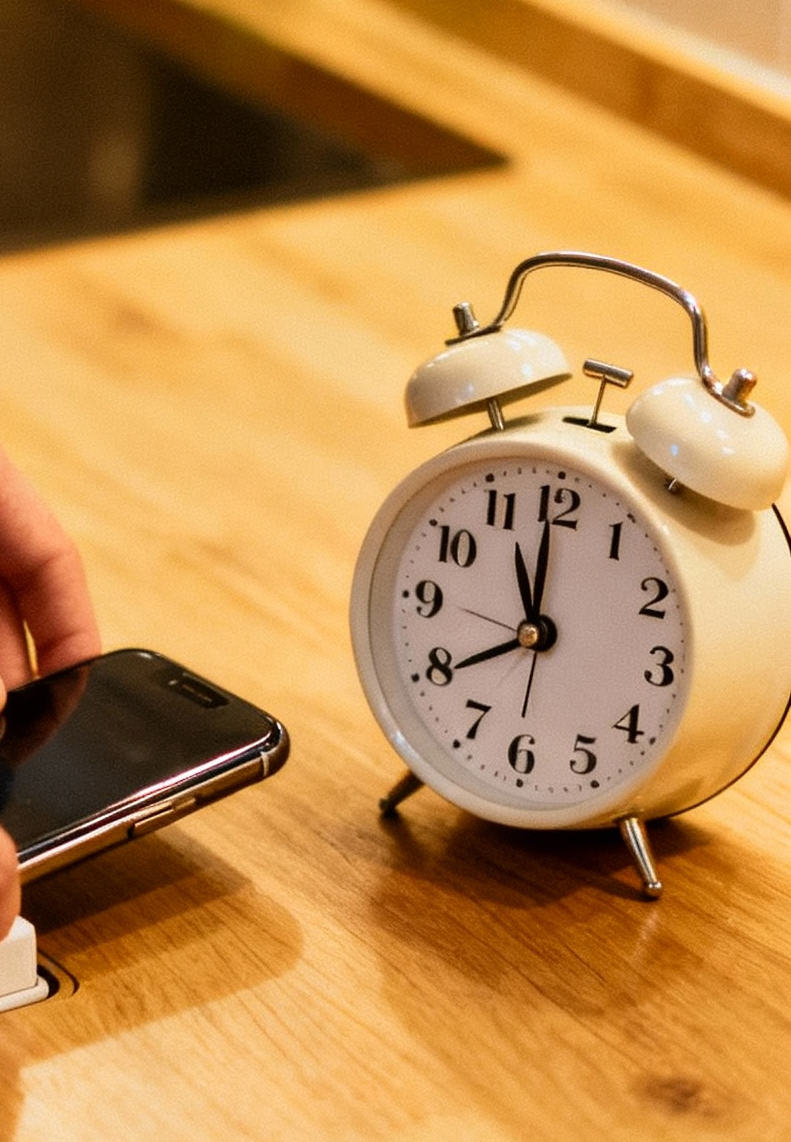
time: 10:59
